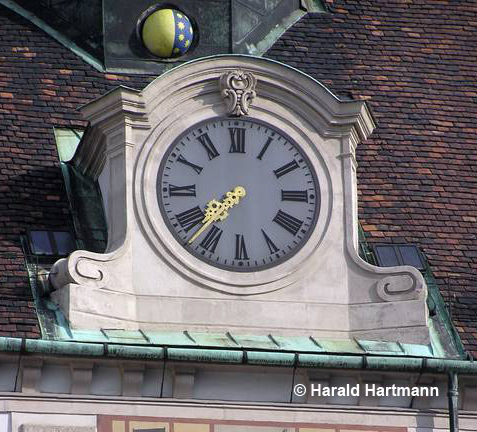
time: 7:37
